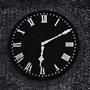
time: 6:10
